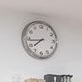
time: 7:43
